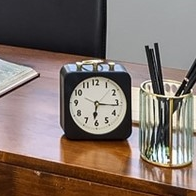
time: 6:16
